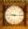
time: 9:14
